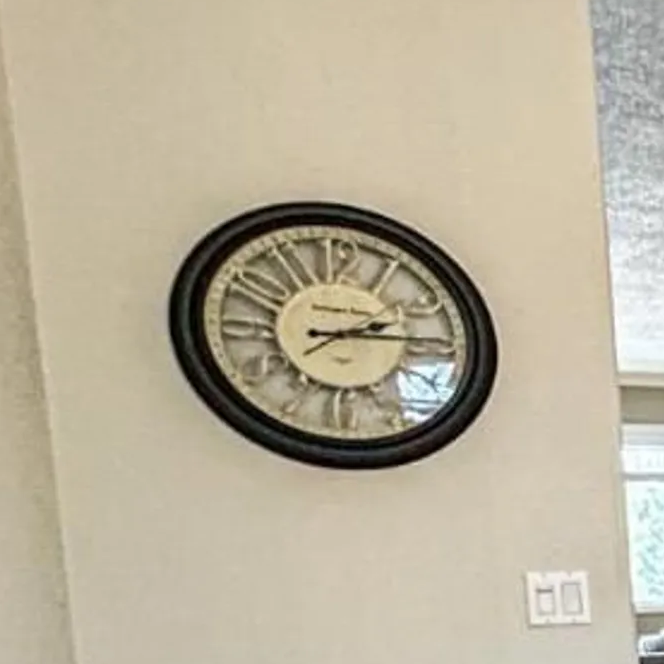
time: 2:14
